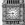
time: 5:45
